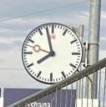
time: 7:57
